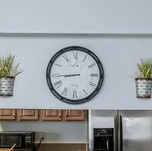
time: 8:44
